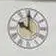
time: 10:00
